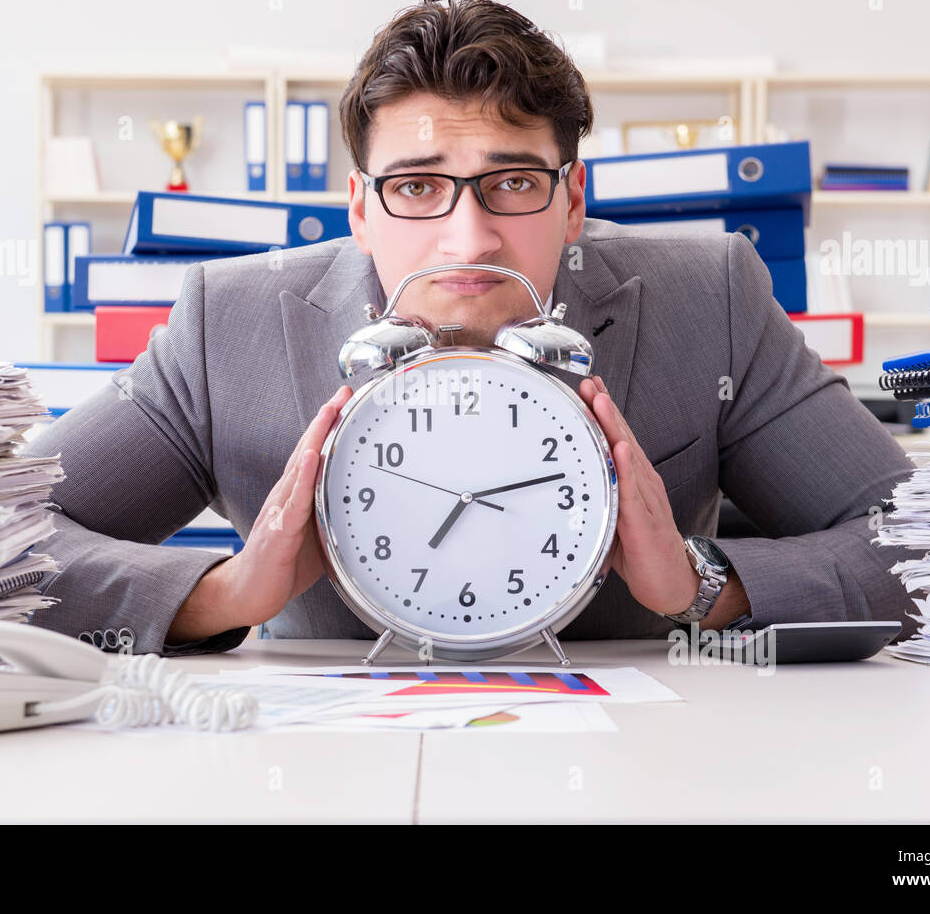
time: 7:12
